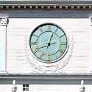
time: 12:41
